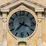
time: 7:18
